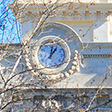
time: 1:02
